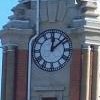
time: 12:08
